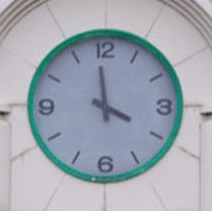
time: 3:58
